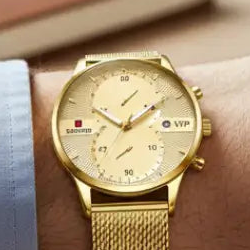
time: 10:09
